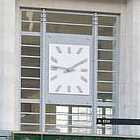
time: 9:10
